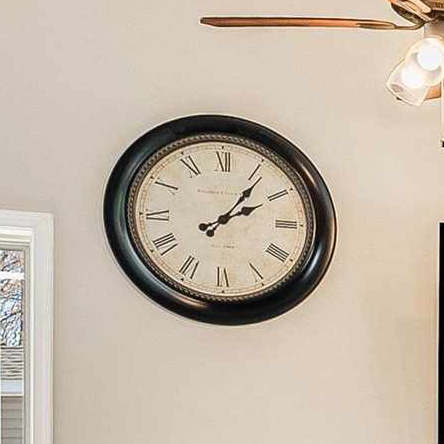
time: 2:06
